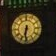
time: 6:31
